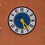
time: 5:24
